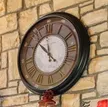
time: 11:52
